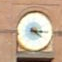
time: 4:15
